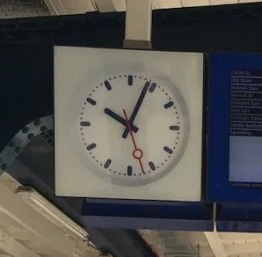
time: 10:03
